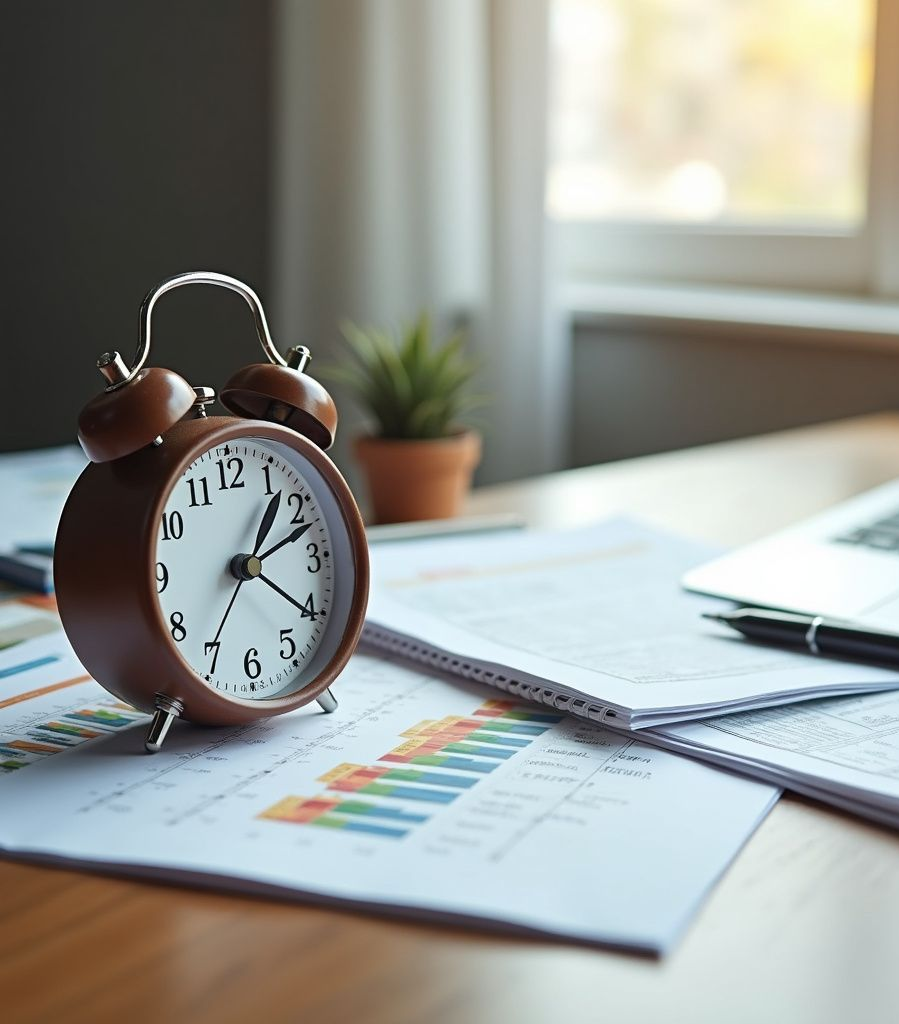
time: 1:20
